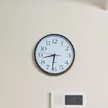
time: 8:31
